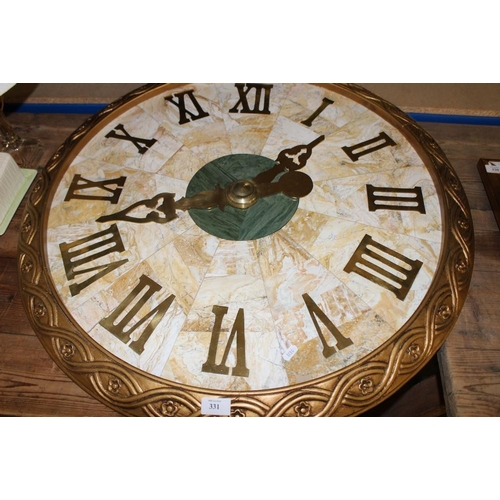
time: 1:42
